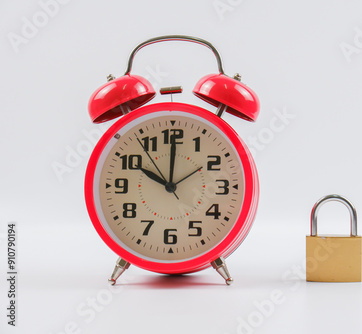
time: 10:00
